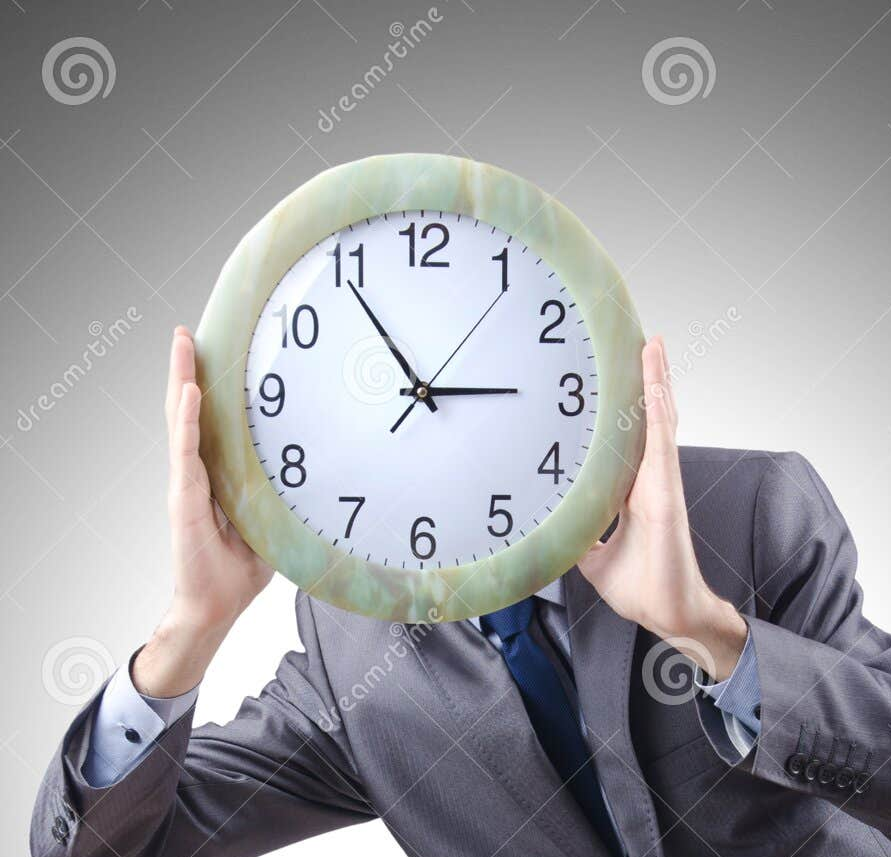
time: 2:54
